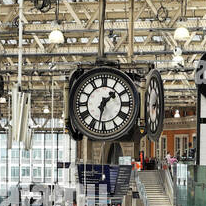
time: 1:32
